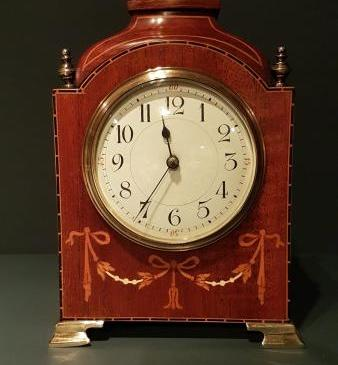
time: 11:35
